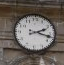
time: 2:17
